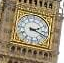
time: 2:18
